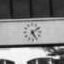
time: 5:08
